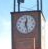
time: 12:27
